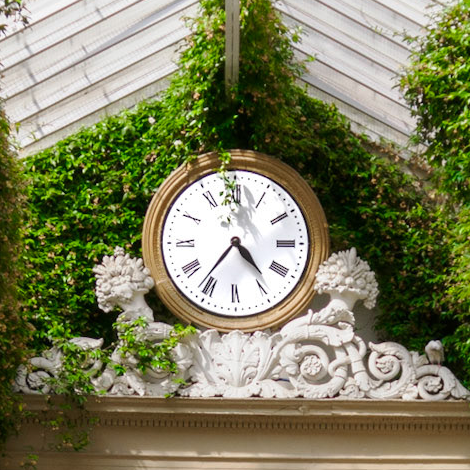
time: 4:36
